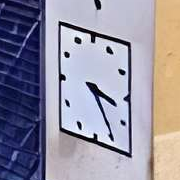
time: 3:23
